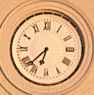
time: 6:37
